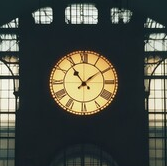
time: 1:53
